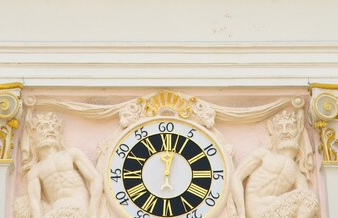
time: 12:03
